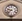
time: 9:38
